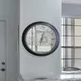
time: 12:32
